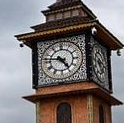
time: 4:46
